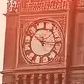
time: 10:15
